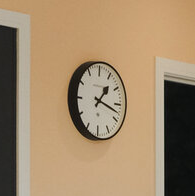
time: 1:17
